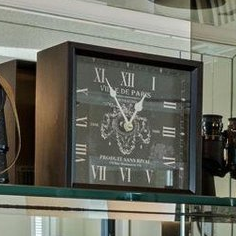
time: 12:55
